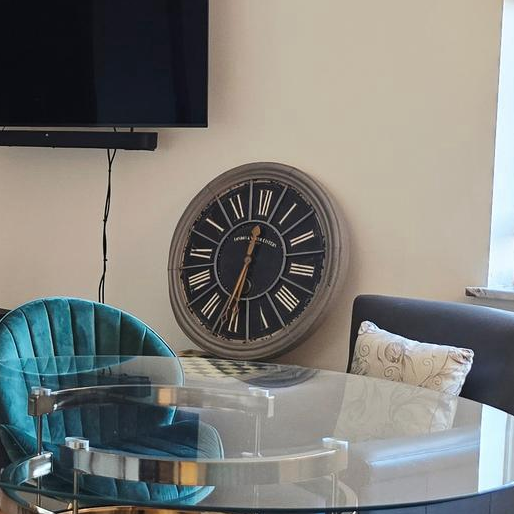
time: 12:31
